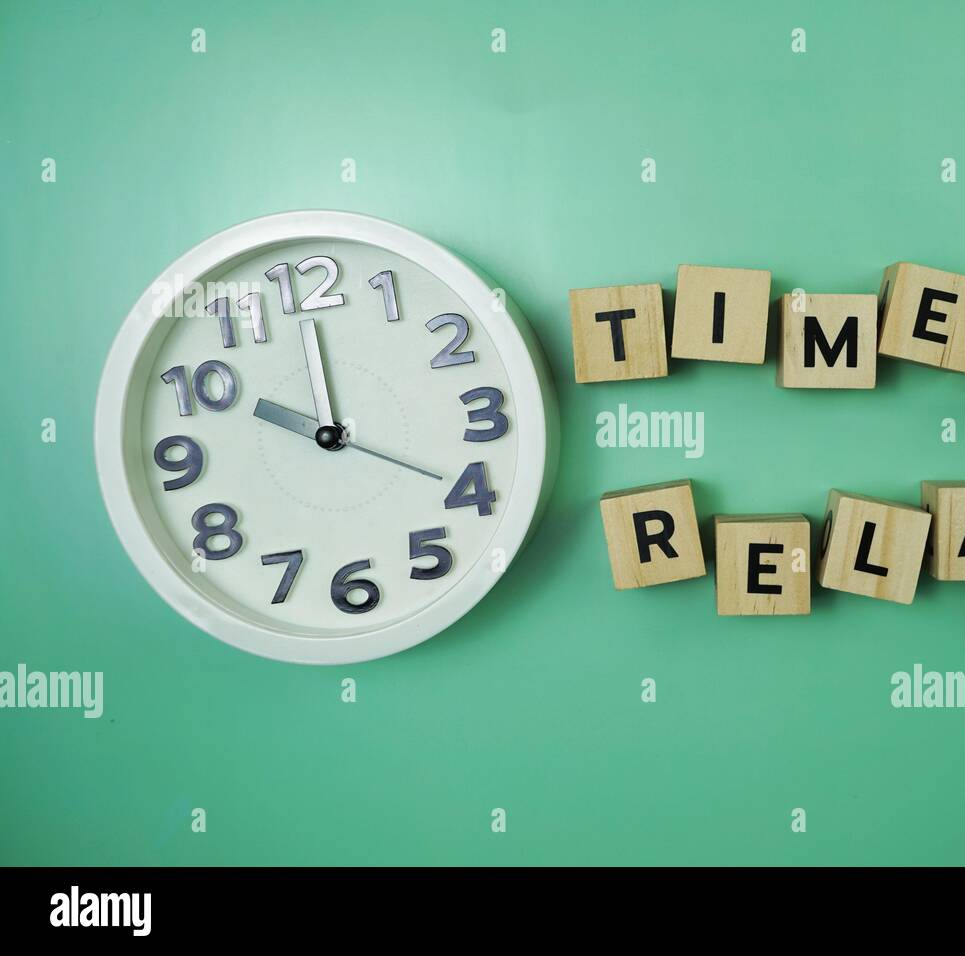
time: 10:00
